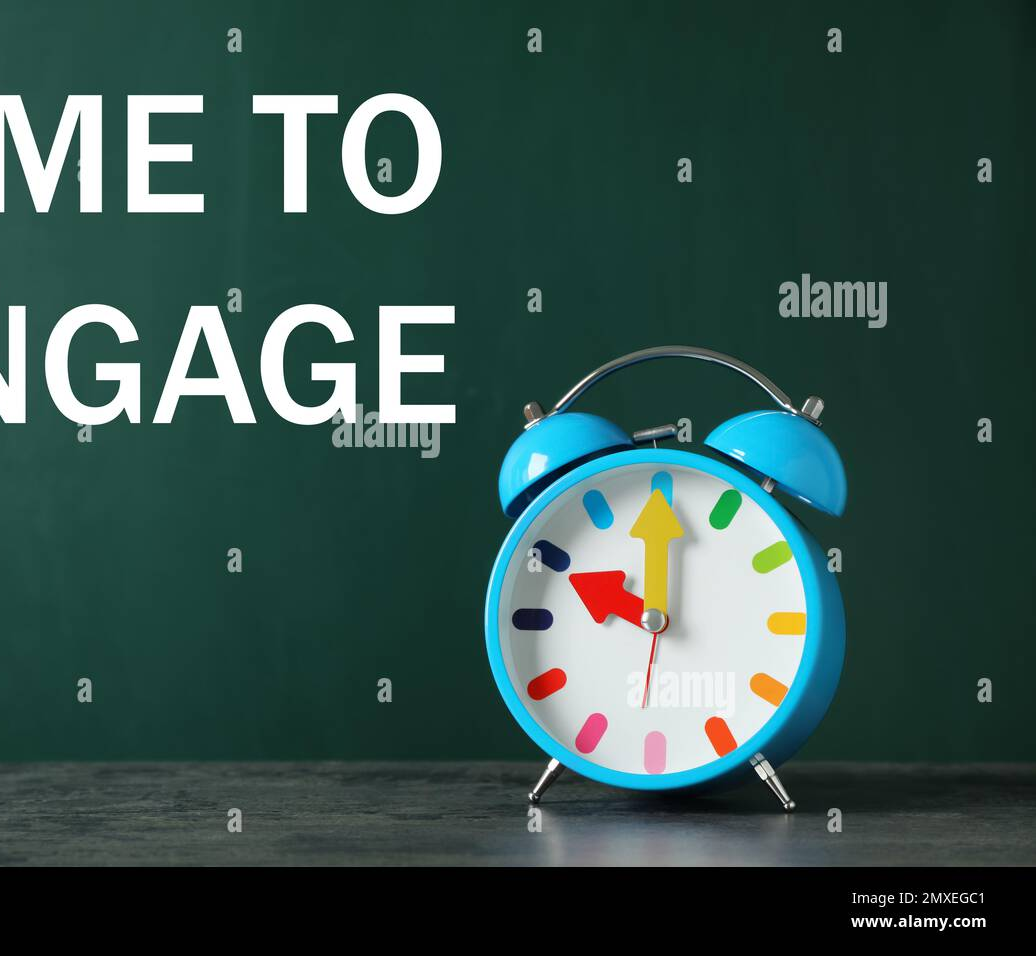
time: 10:00
